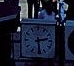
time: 2:29
